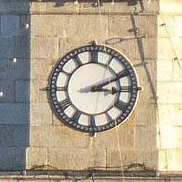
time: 3:11
